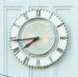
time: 7:44
